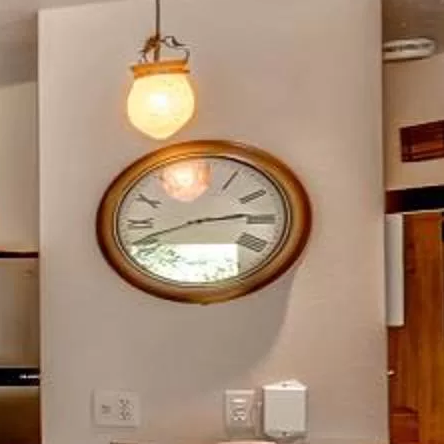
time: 2:41
